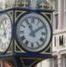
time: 11:09
